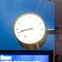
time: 8:42
